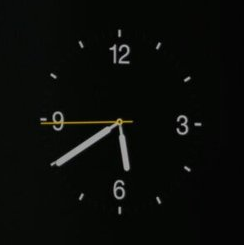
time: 5:39
